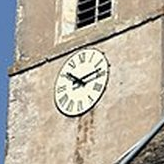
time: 10:13
